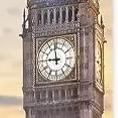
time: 8:58
